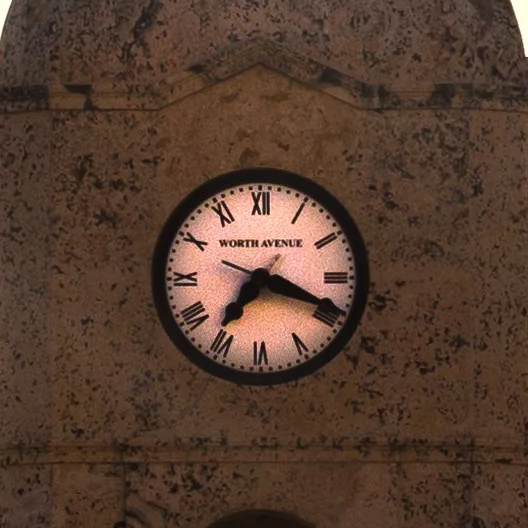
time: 7:18
